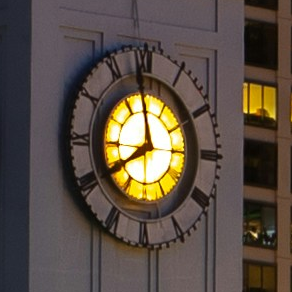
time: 7:58
